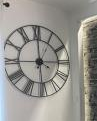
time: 2:59
